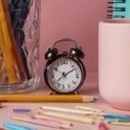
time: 7:09
